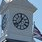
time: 12:37
